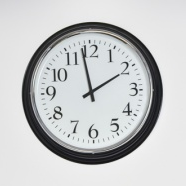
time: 1:58
